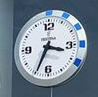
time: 3:34
